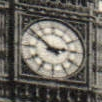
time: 2:51
